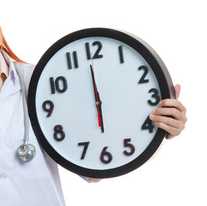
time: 5:58
